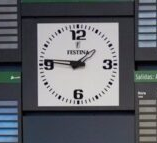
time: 1:45
